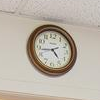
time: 4:43
